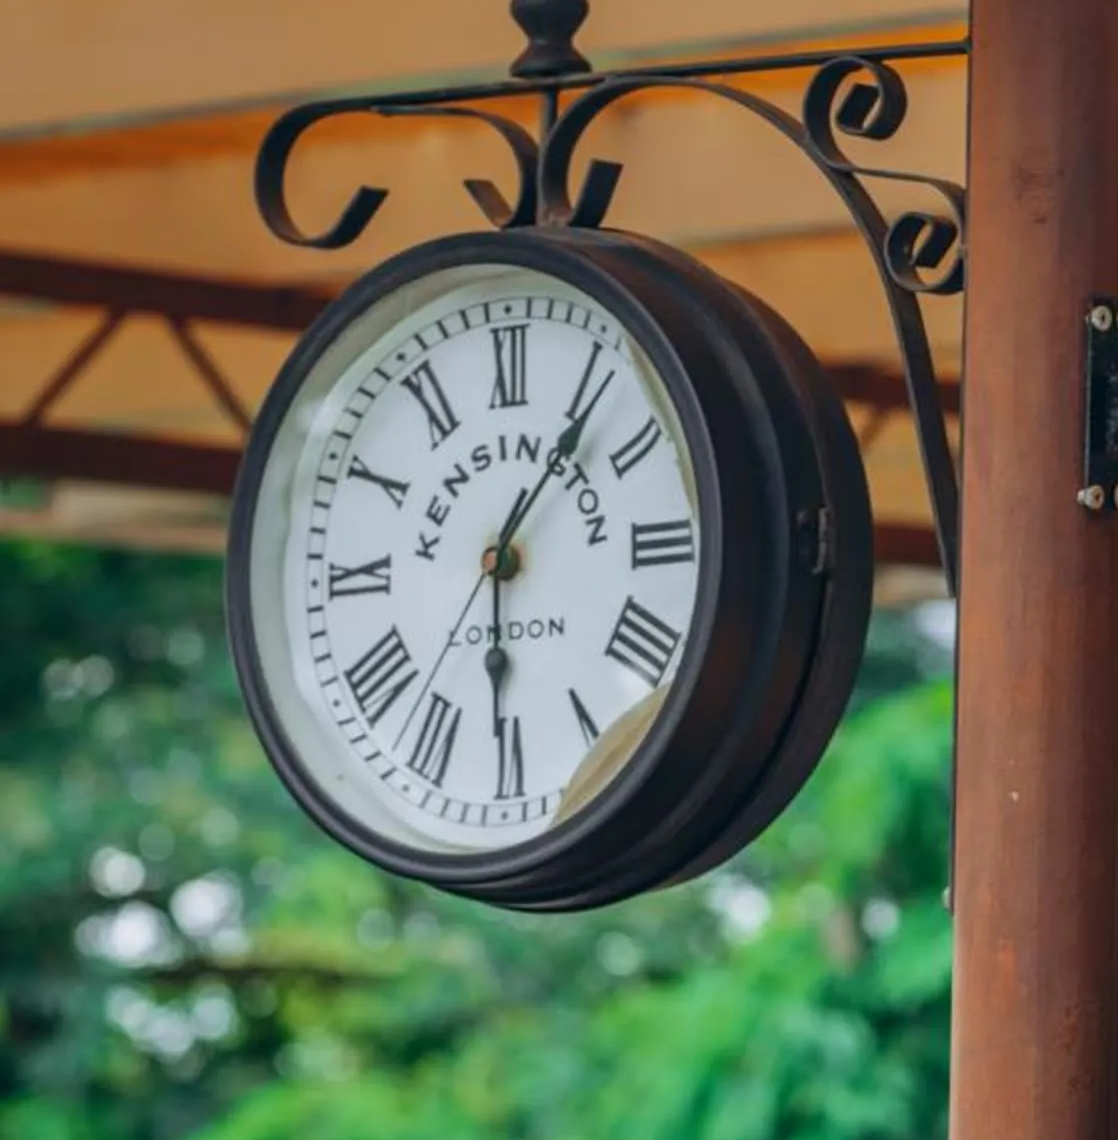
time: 6:06
